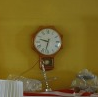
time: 9:32
